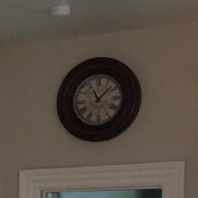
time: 11:07
